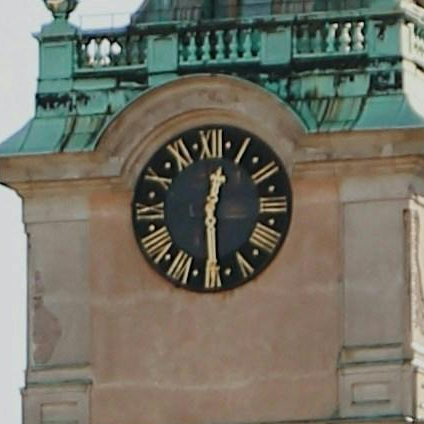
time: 12:29
